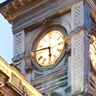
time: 5:46
